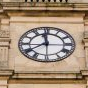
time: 11:39
